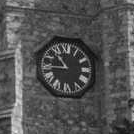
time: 10:45
